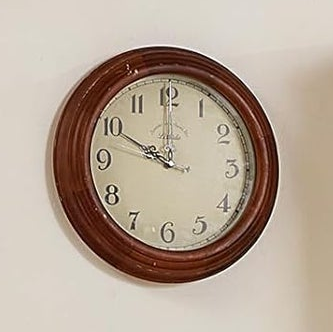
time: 9:59
